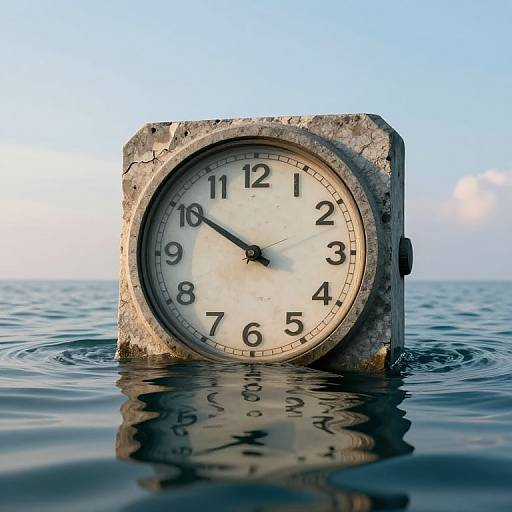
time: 9:50
